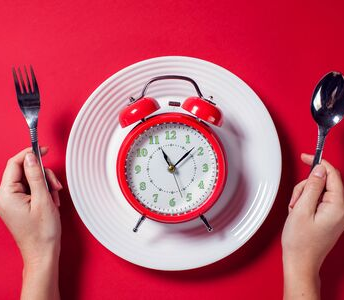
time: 11:08
